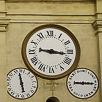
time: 9:16
